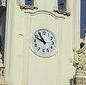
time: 9:54
